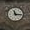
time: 11:16
